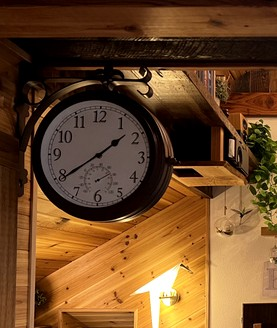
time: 1:39
